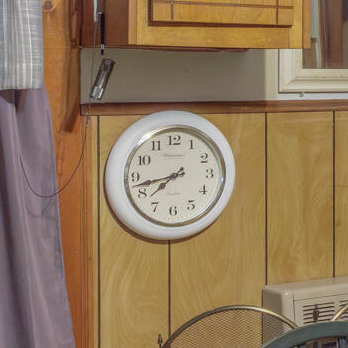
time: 7:42
